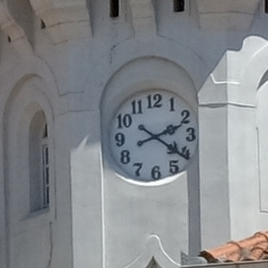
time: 2:21
